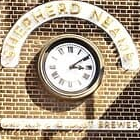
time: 3:09
